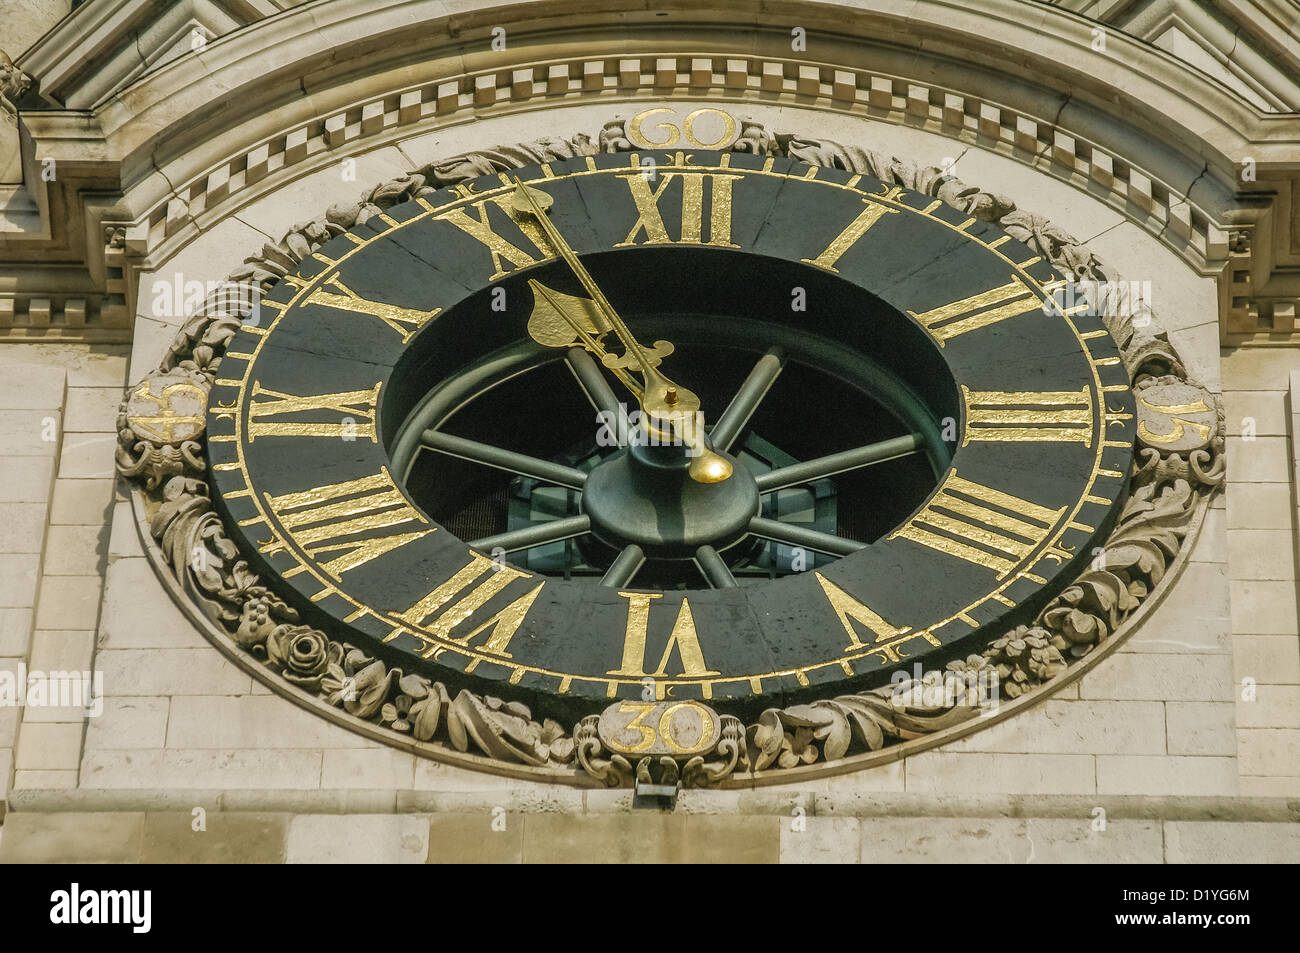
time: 11:56
